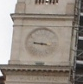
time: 9:17
